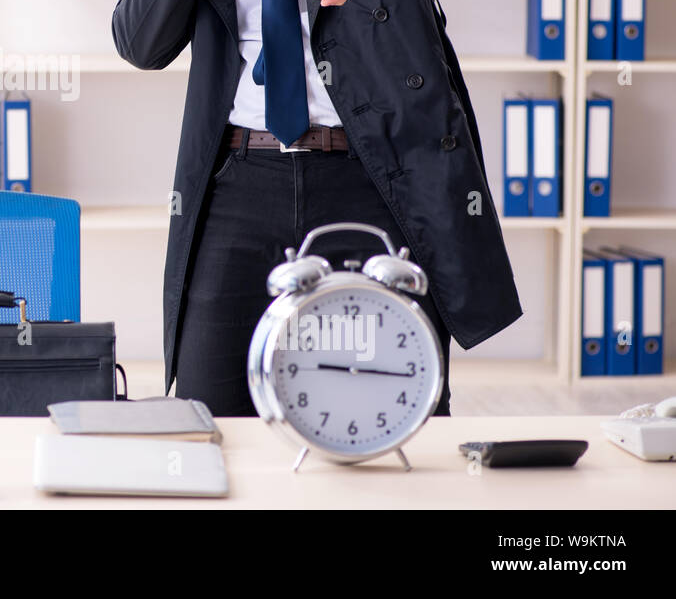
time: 9:16
